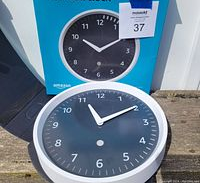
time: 10:10
